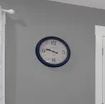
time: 9:47
